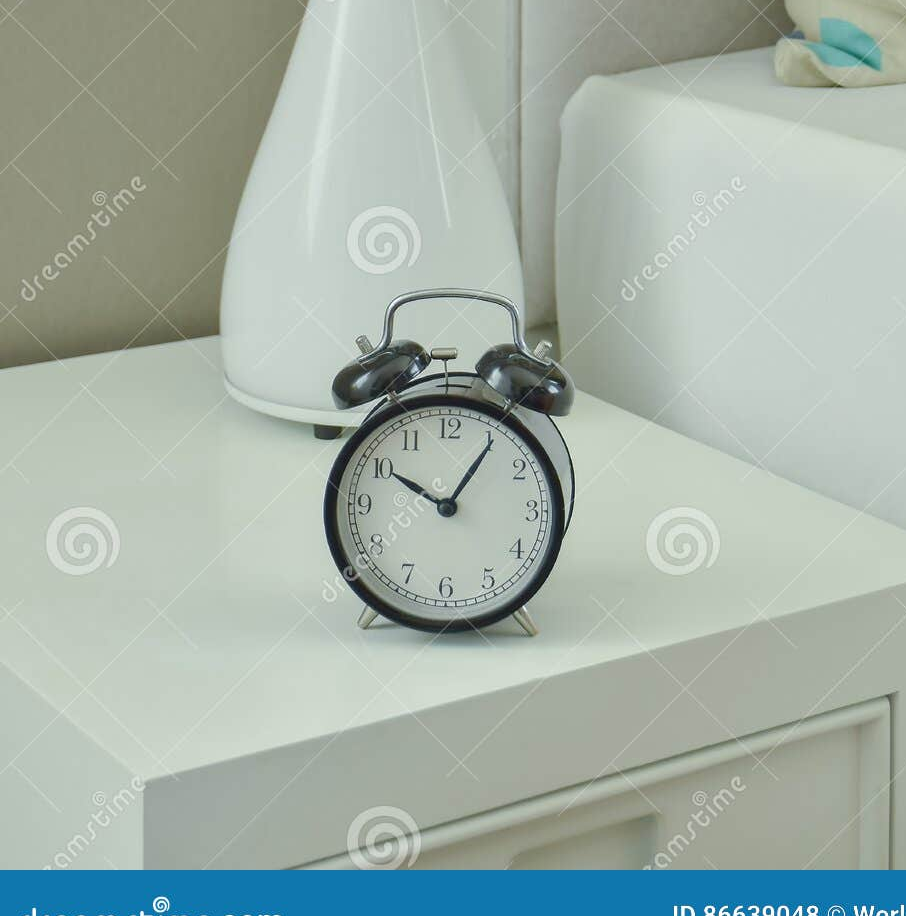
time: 10:05
